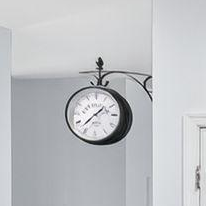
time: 1:37
